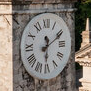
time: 12:10
